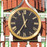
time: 11:35
